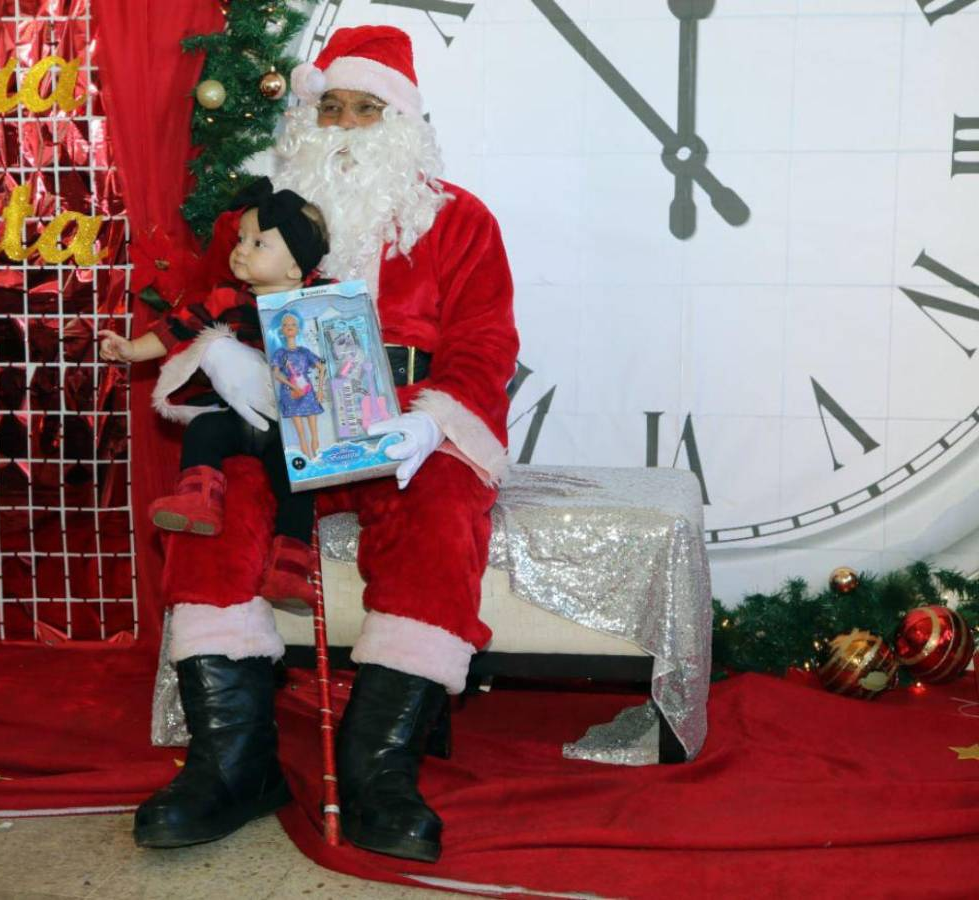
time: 11:52
